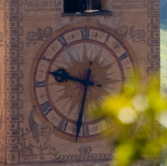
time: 9:32
